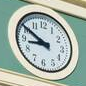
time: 8:50
